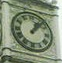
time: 1:07
